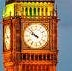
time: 9:52
